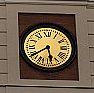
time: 5:39
